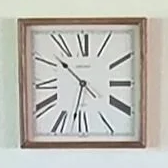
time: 10:32
